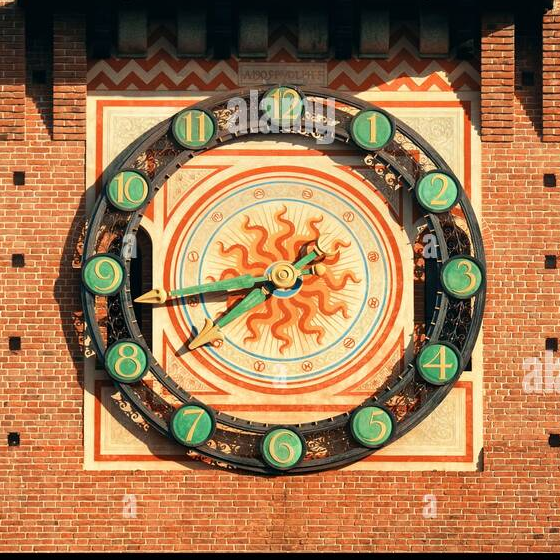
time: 7:42
